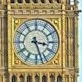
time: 3:27
